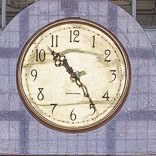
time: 10:24
